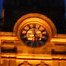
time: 5:59
